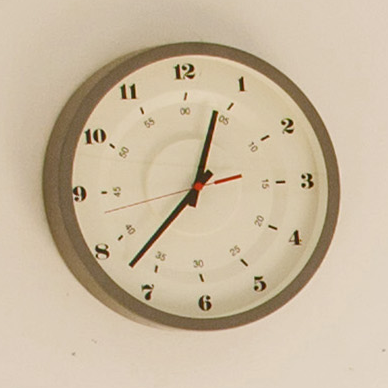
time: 12:37
